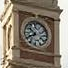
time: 7:51
